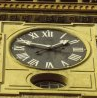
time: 1:47
